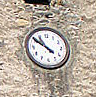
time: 10:50
